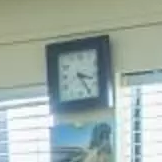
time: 3:23
